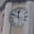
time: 11:48
